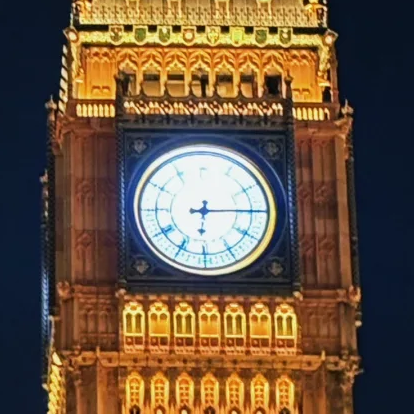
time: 6:14
